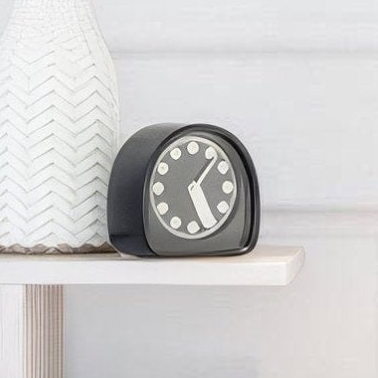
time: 5:06
